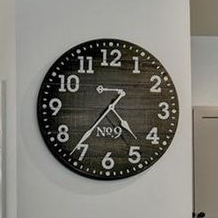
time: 4:36
